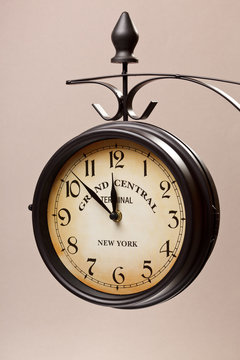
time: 11:52
